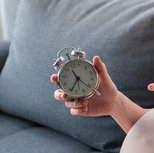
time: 10:34
